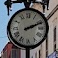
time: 2:11
